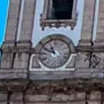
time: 10:48
